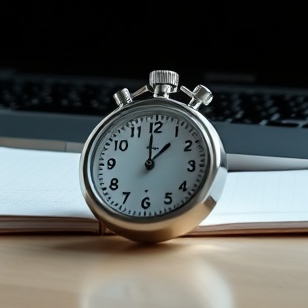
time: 12:59
